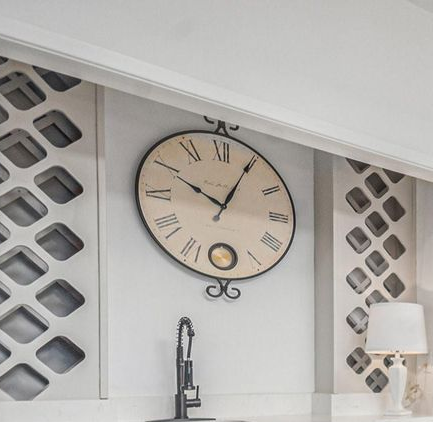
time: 10:04
